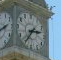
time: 2:36
